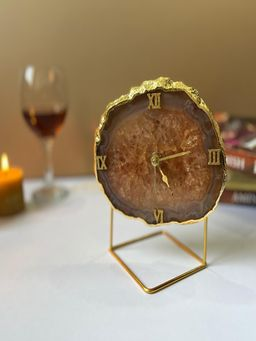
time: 5:12
